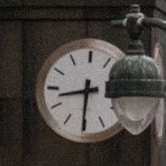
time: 8:30
